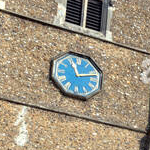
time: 11:12
